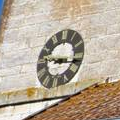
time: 9:16
